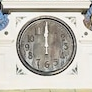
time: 12:00
